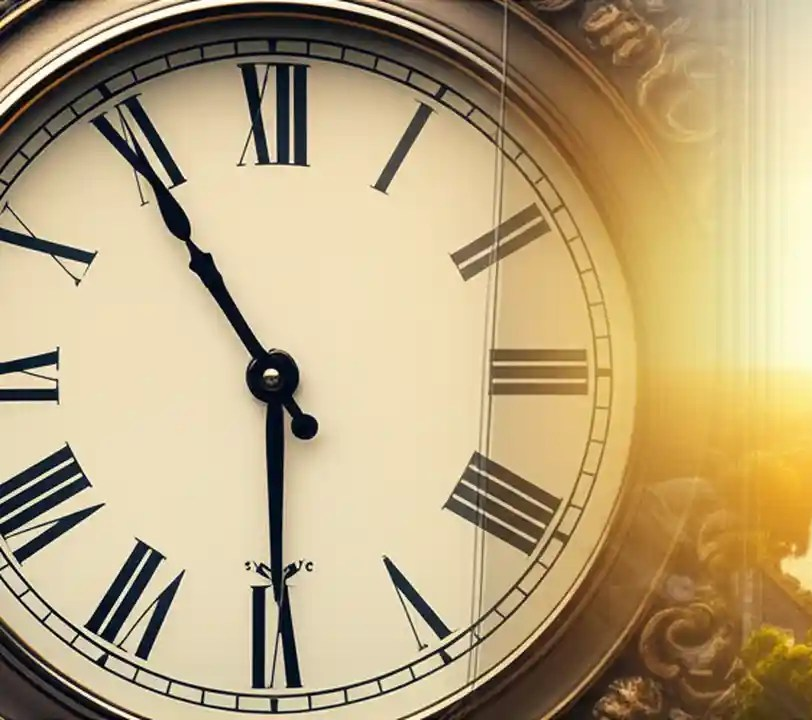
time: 5:54
